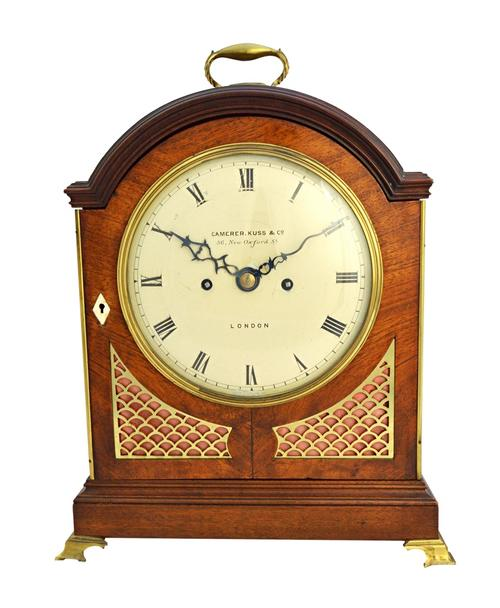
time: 1:50
